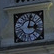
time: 3:02
